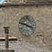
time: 3:47
